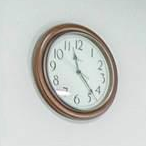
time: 11:22
